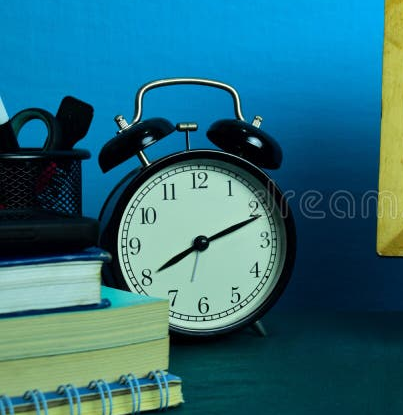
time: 8:11
